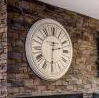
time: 2:30
